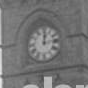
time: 12:13
